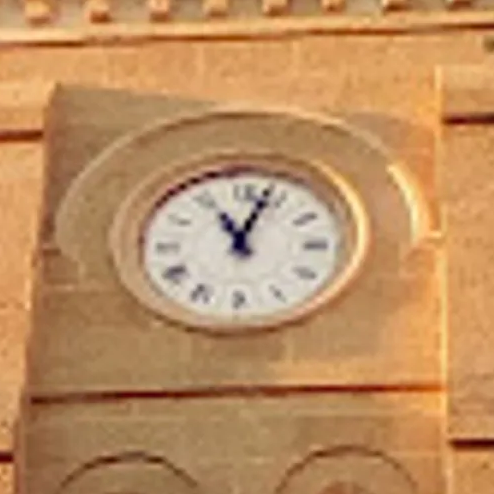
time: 11:03
